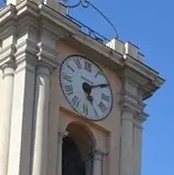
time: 5:09
